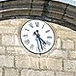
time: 4:27
